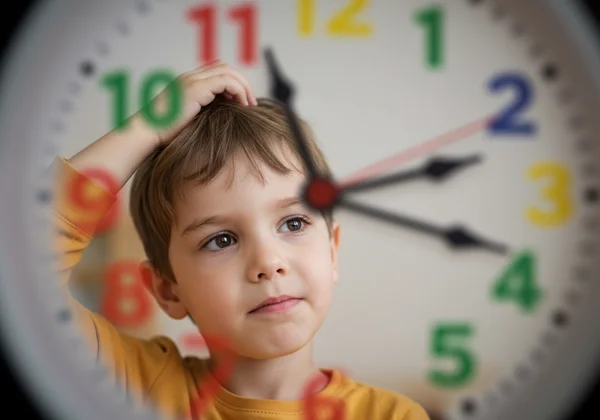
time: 11:18
